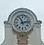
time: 11:12
